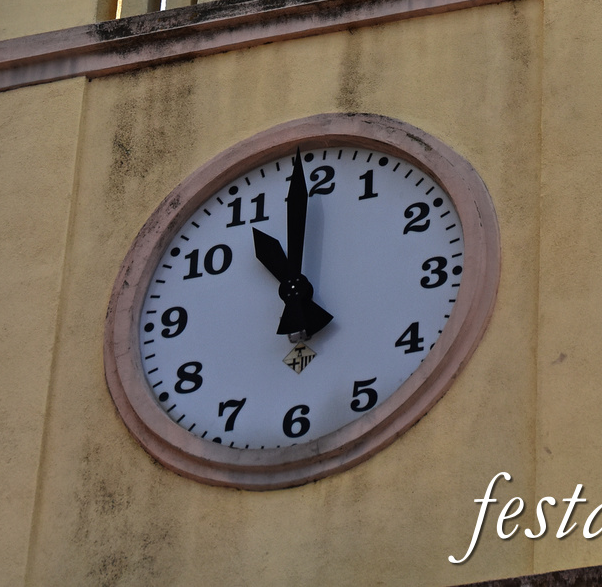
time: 10:59
